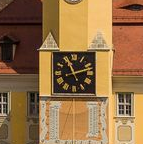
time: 11:12
